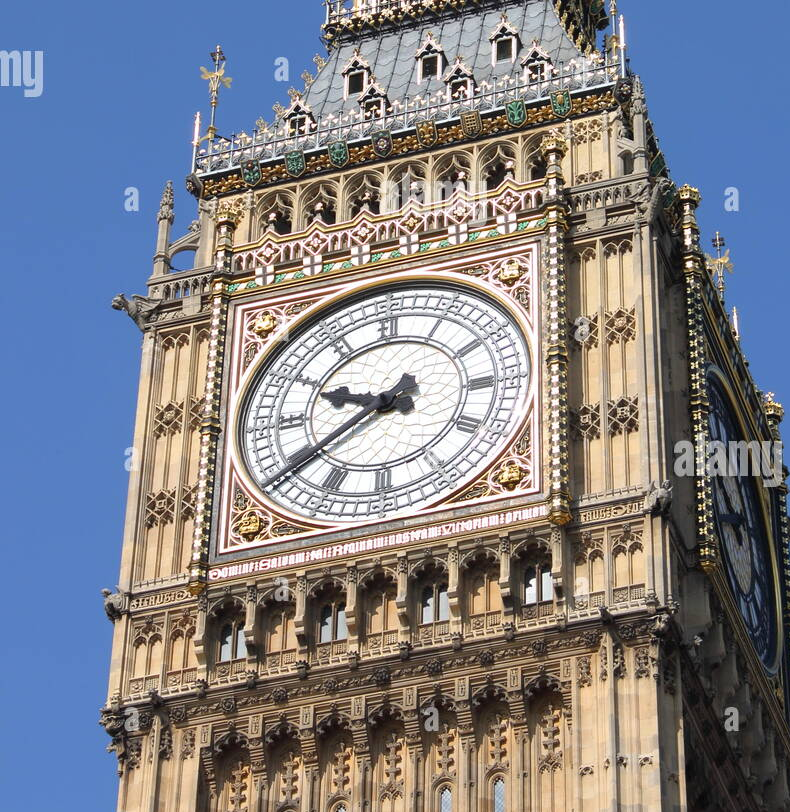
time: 9:39
